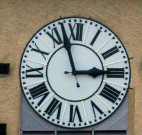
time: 2:57
